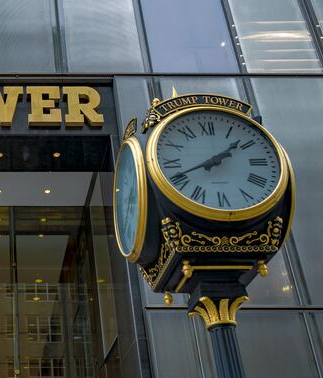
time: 1:41
